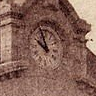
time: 9:57
